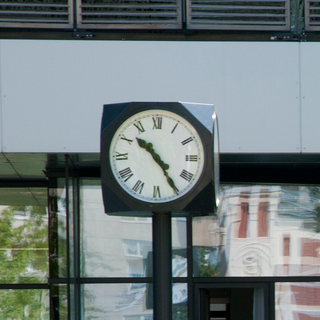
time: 10:24
